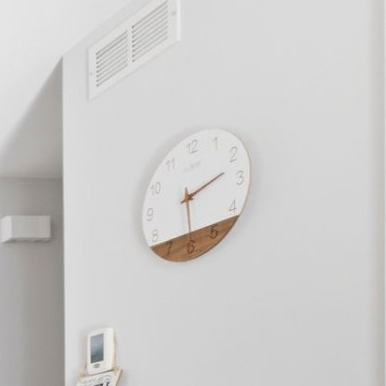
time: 2:29
